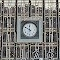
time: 11:49
